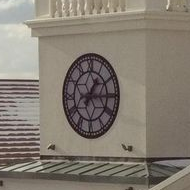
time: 1:14
